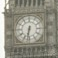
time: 6:32
